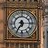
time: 7:14
